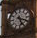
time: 5:18
